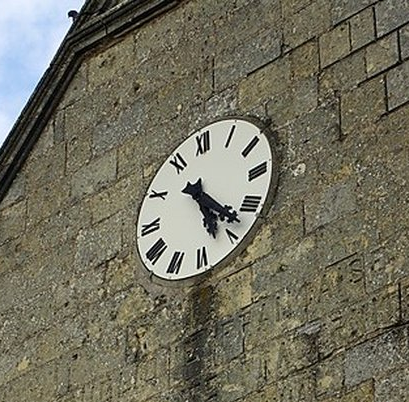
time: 5:22
